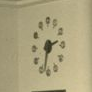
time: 2:32
